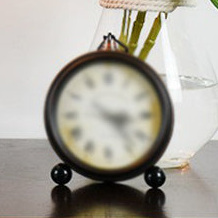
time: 3:23
